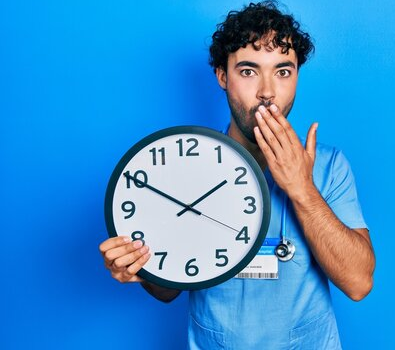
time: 1:50
